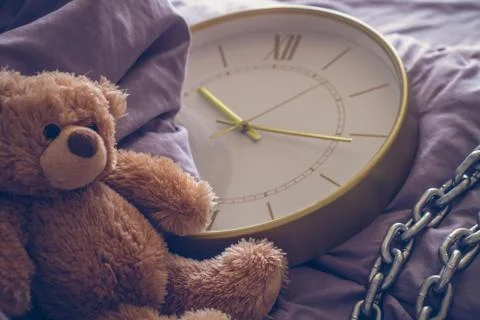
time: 10:15
